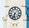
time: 6:32
